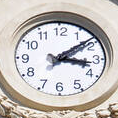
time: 3:08
